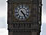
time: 4:24
